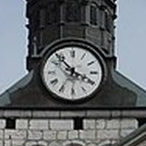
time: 3:53
